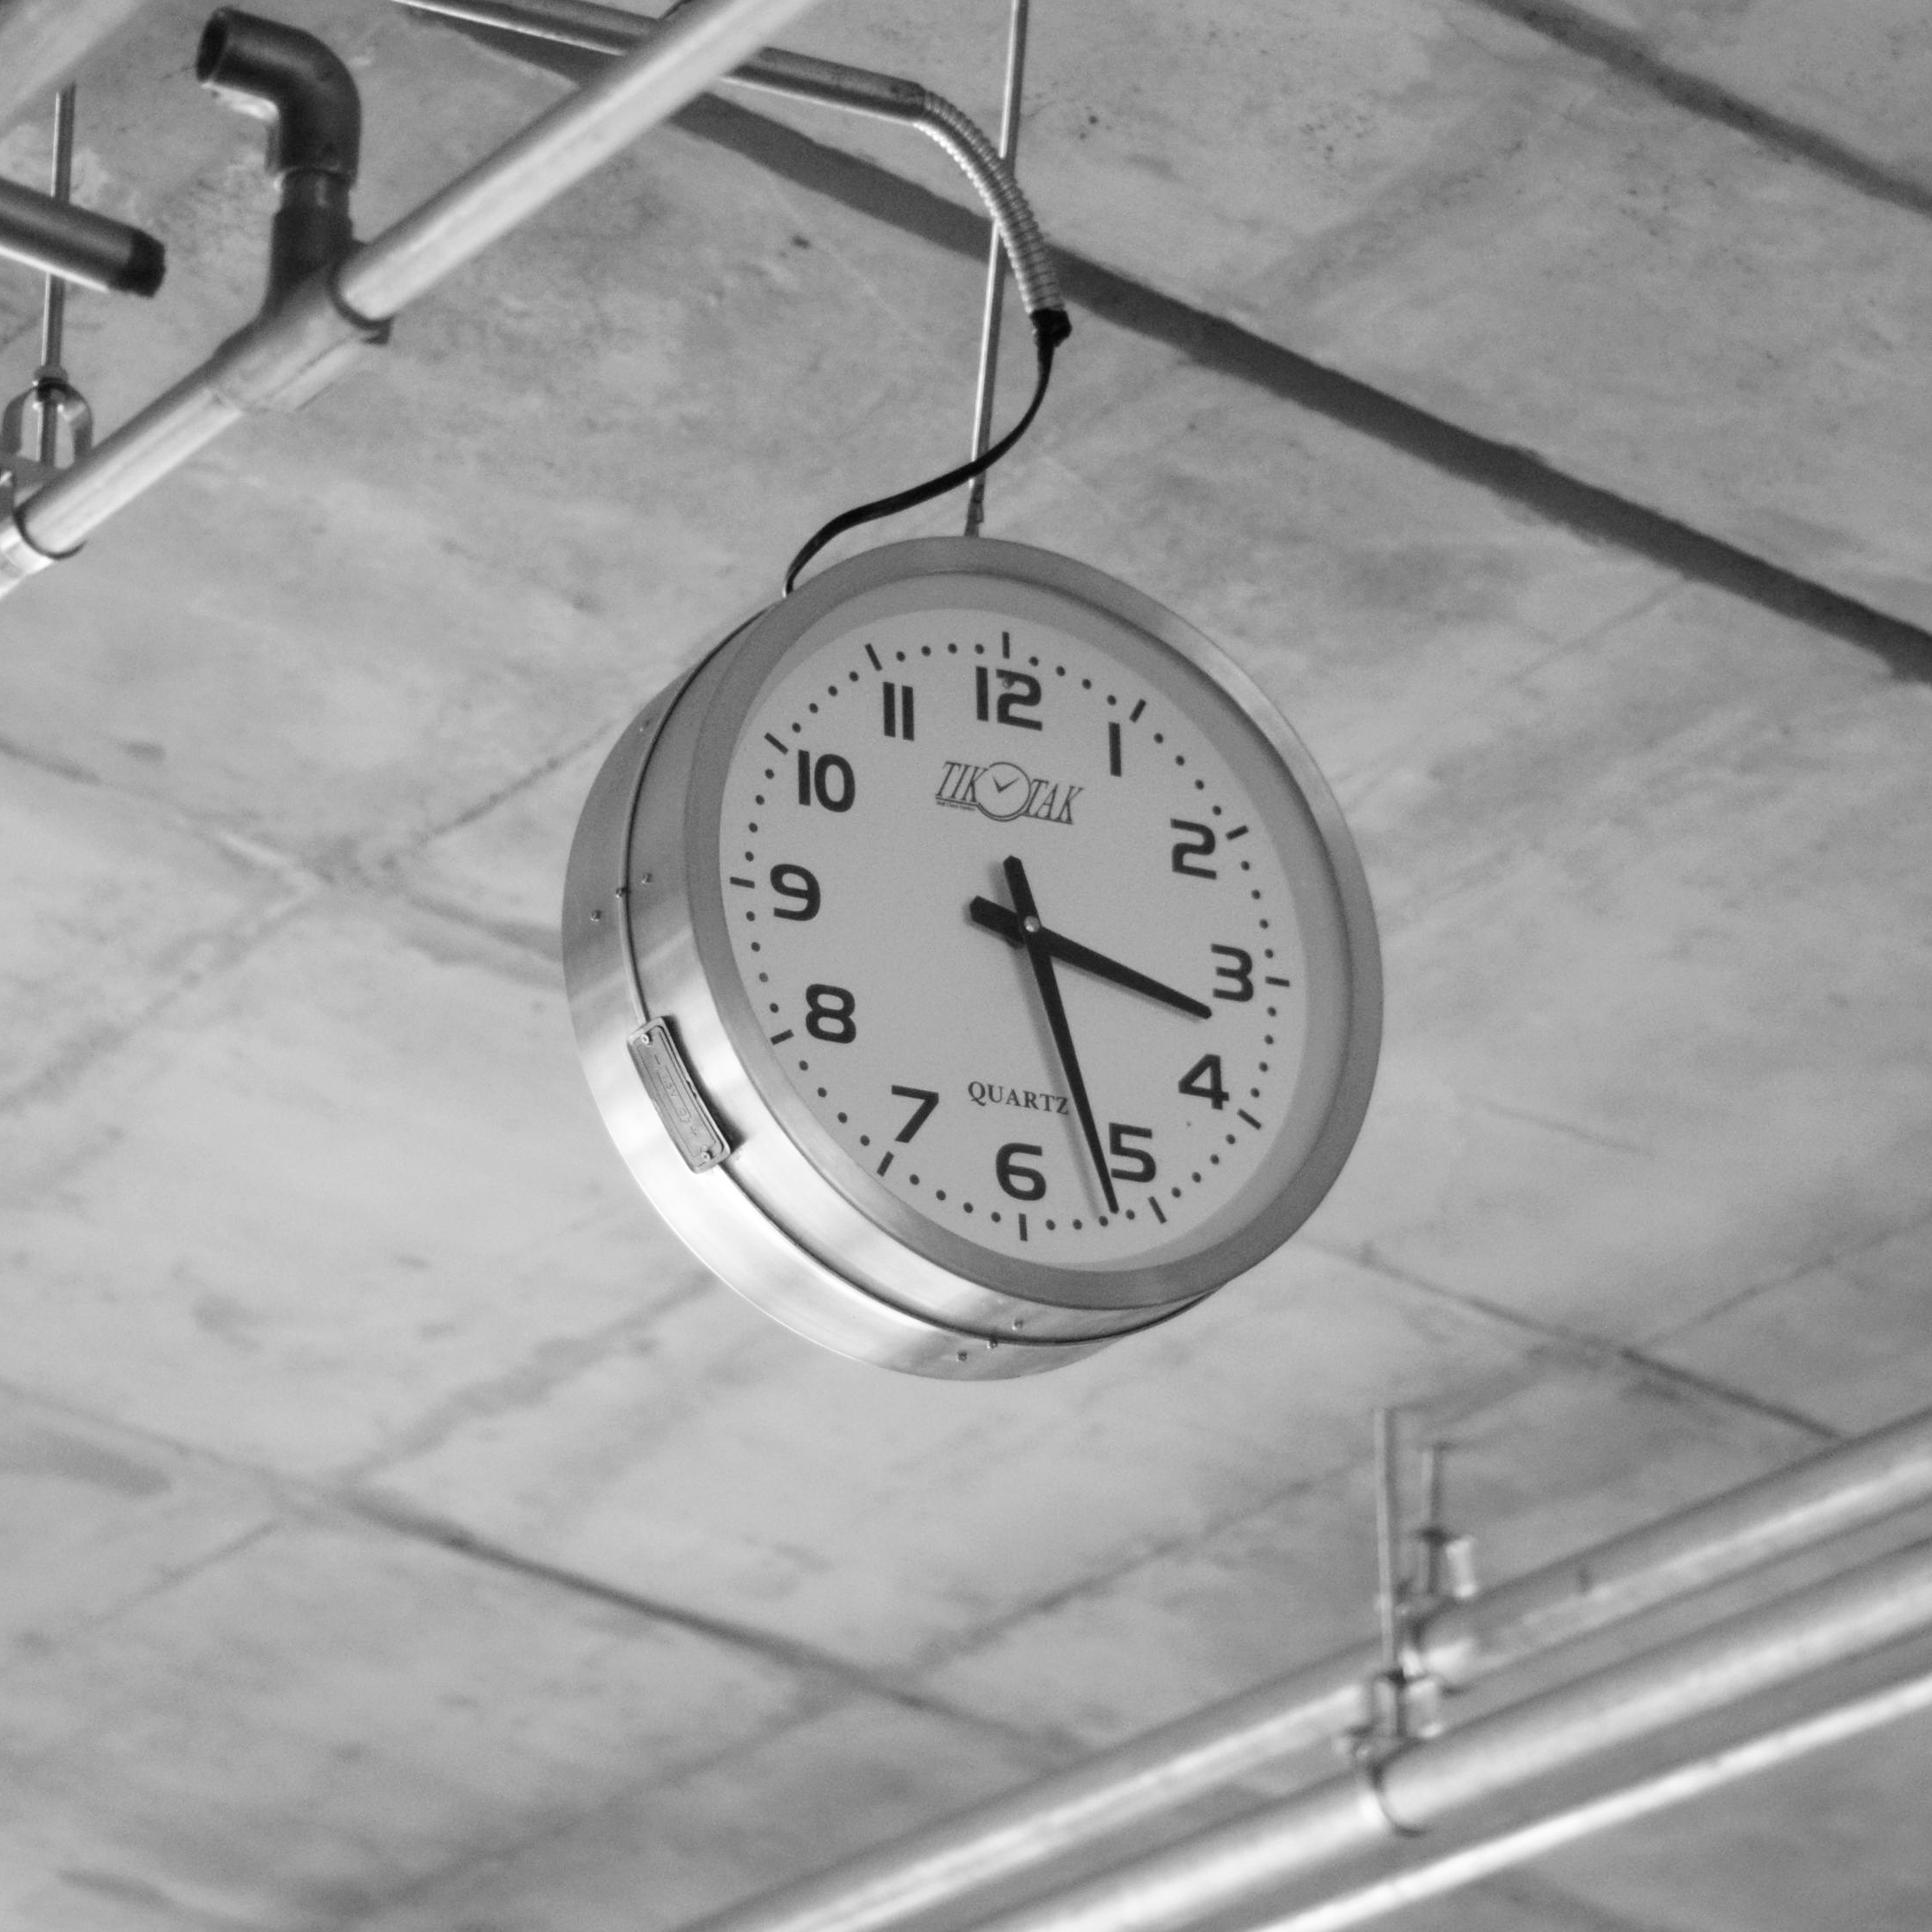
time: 3:26
